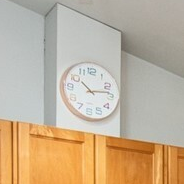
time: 10:13
